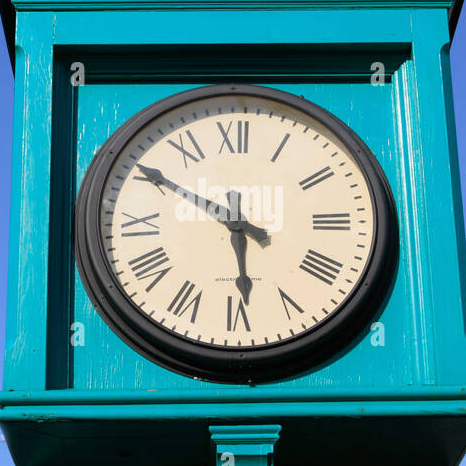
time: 5:50
